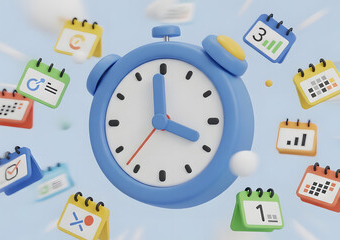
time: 3:58
